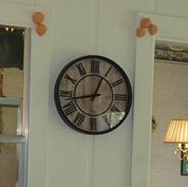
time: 12:43
